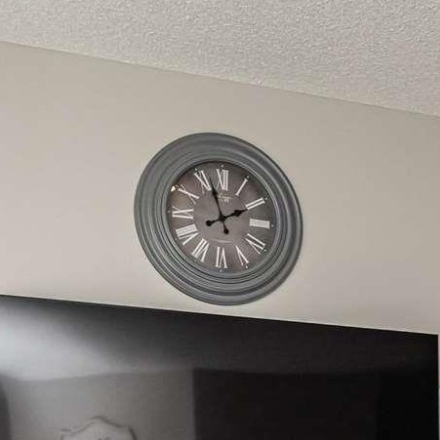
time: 1:56
